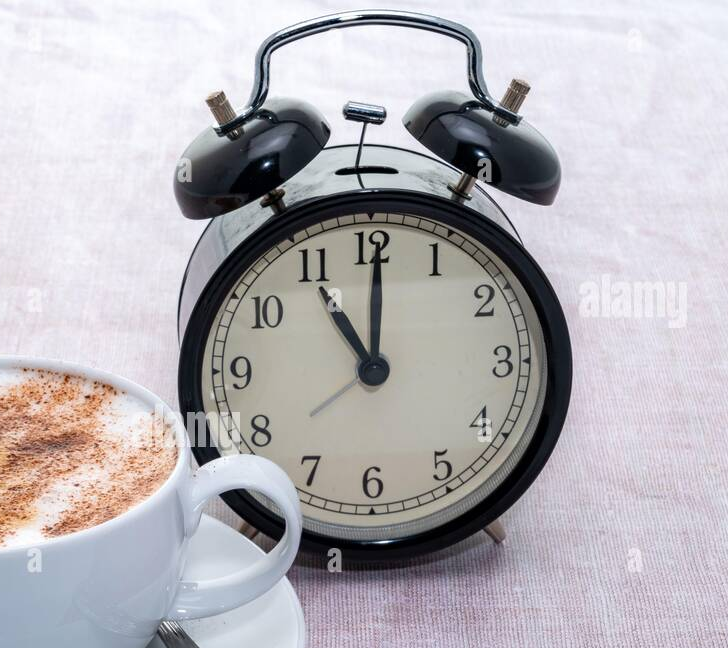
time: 11:00
